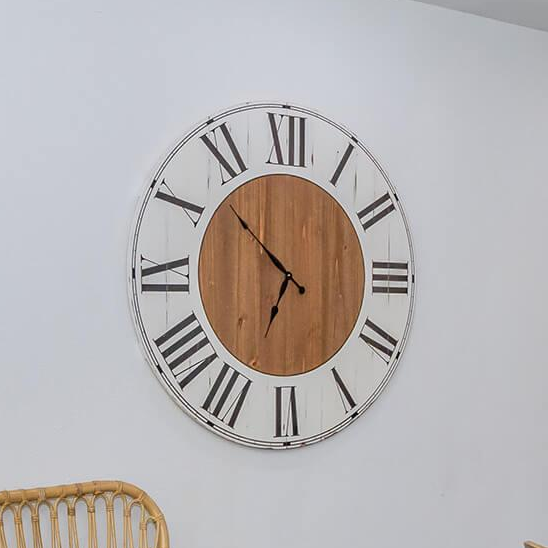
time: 6:52
